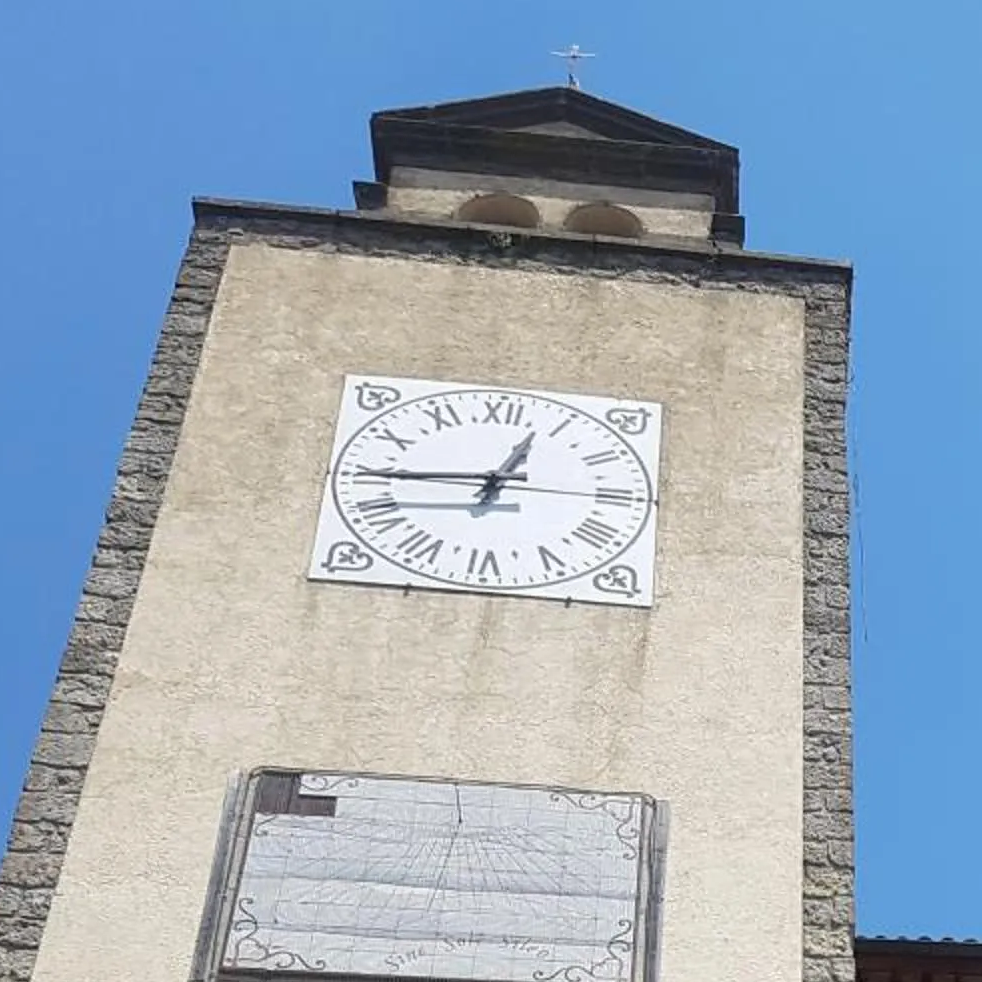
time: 12:45
